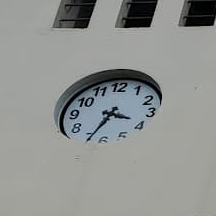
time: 3:34
